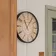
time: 11:05
